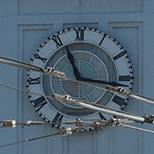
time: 11:16
